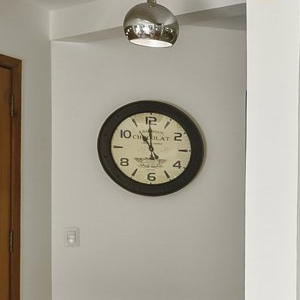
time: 10:59
